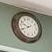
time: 9:41
